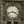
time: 3:42
